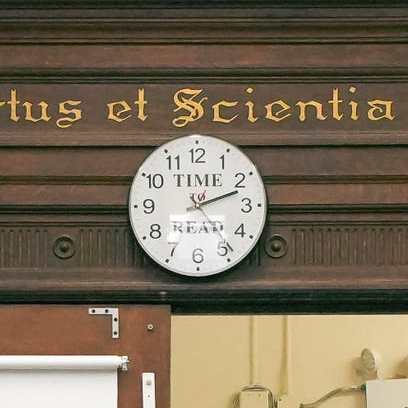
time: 2:23
